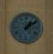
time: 1:09
